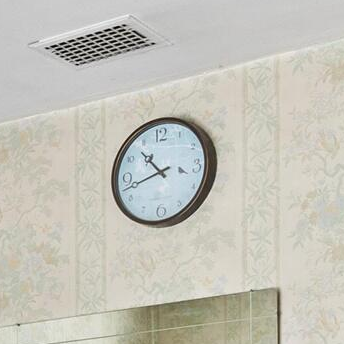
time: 10:42
